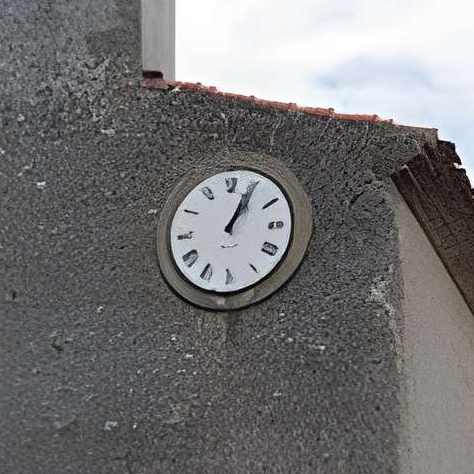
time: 1:04
